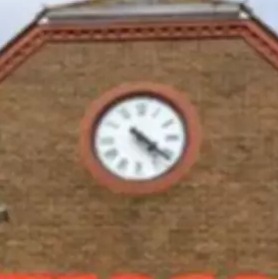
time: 4:21
